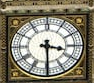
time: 3:29
